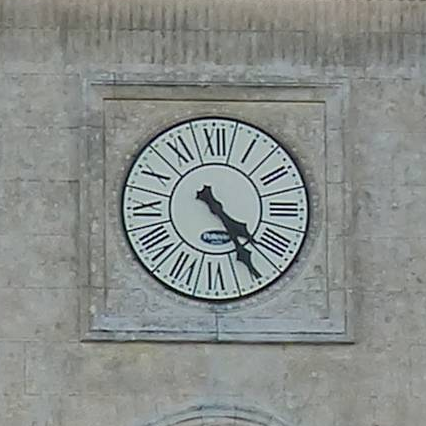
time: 4:24
